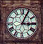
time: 3:04
